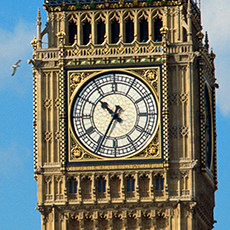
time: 10:34
